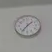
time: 1:36
